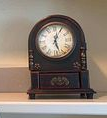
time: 5:03
